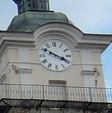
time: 3:50
